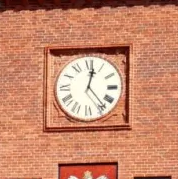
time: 12:23
